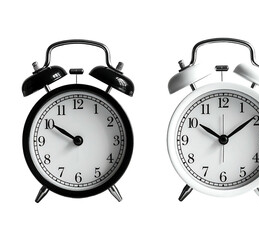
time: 9:50
